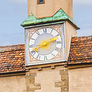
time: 8:11
